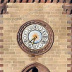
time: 6:37
